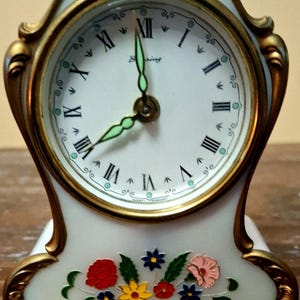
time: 7:59
